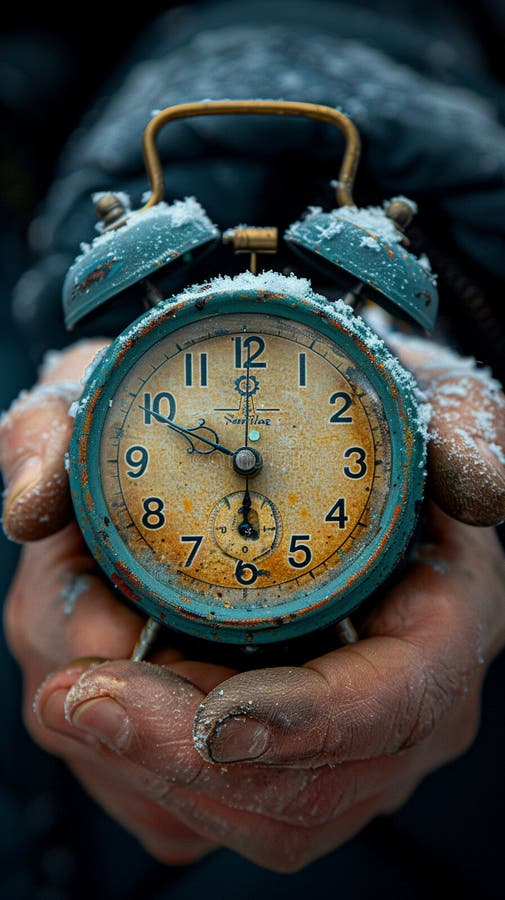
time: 5:49
